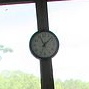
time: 11:07
